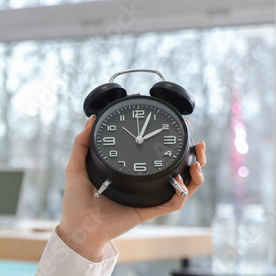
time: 2:03
